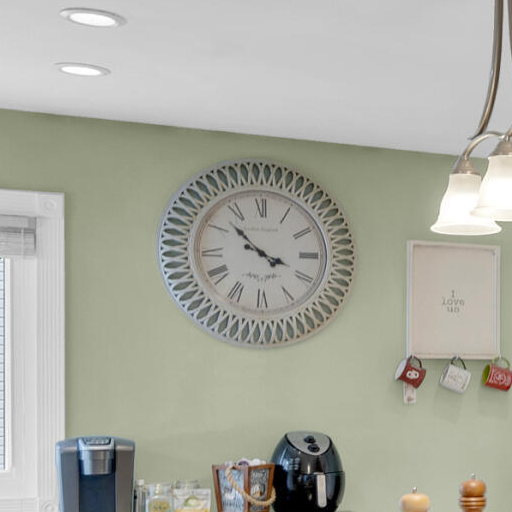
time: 3:52
